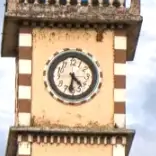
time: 4:32
